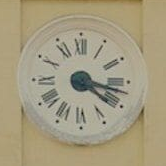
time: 4:17
